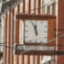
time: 11:56
